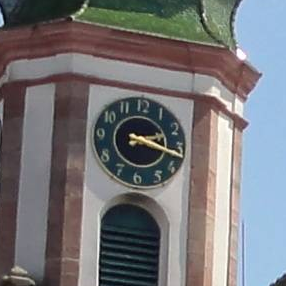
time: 2:17
